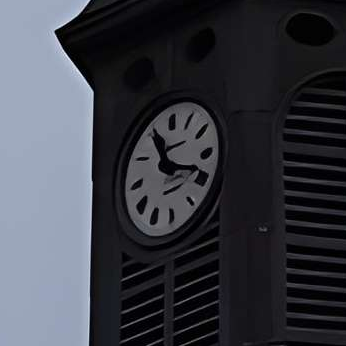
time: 11:18
